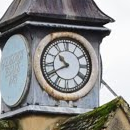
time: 10:40
